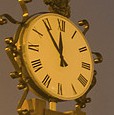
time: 11:53
